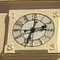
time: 2:33
